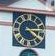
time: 4:14
